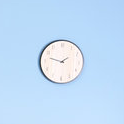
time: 1:47
